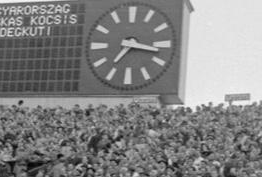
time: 7:16
